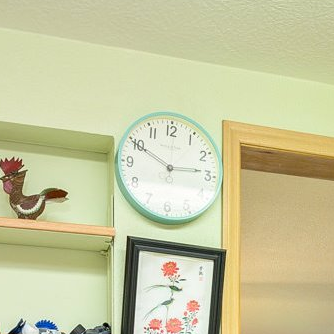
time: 2:49
